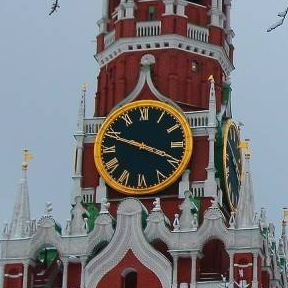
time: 3:48
